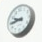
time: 9:44
